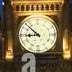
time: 8:52
